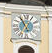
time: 12:55
